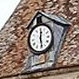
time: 12:28
